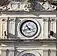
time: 10:42
